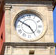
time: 4:50
